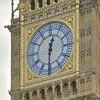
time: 12:30
